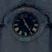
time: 11:24
